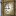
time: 11:46
